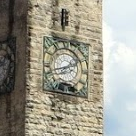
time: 1:42
